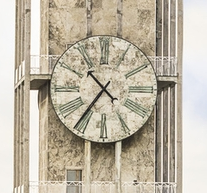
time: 10:36
